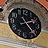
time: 2:23
